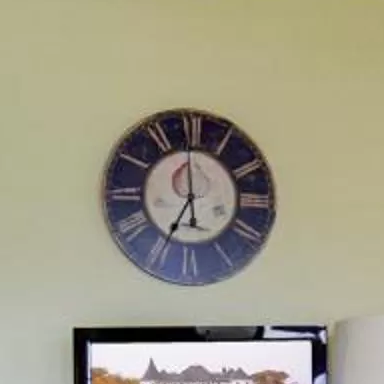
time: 6:59
